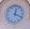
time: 12:18
